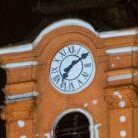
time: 7:09
